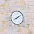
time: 8:09
